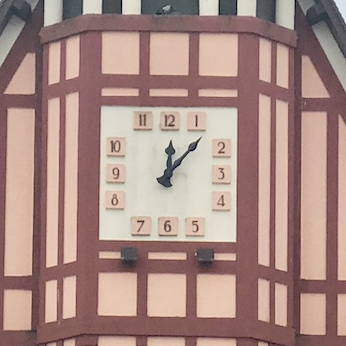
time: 12:07
